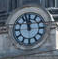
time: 11:57
